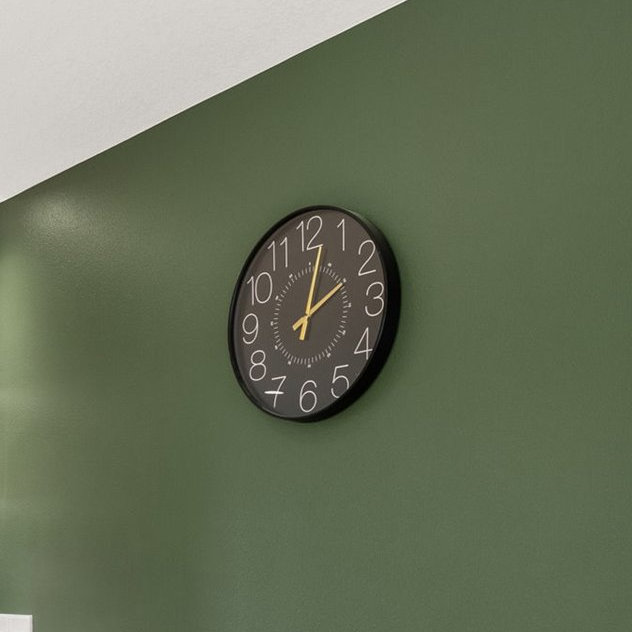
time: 2:02
